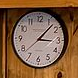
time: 3:07
